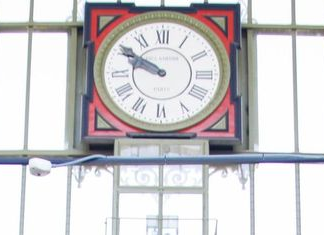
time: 9:50
